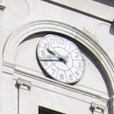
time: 9:42
